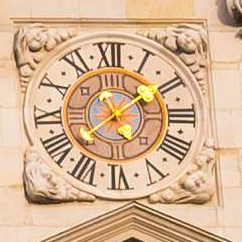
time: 11:09
